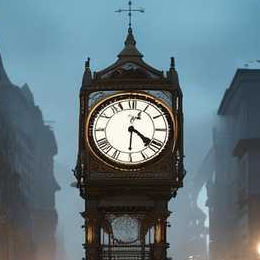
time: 4:20
